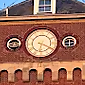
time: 6:19
